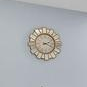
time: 2:18
